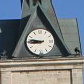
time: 8:46
